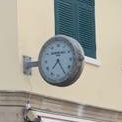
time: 7:24
